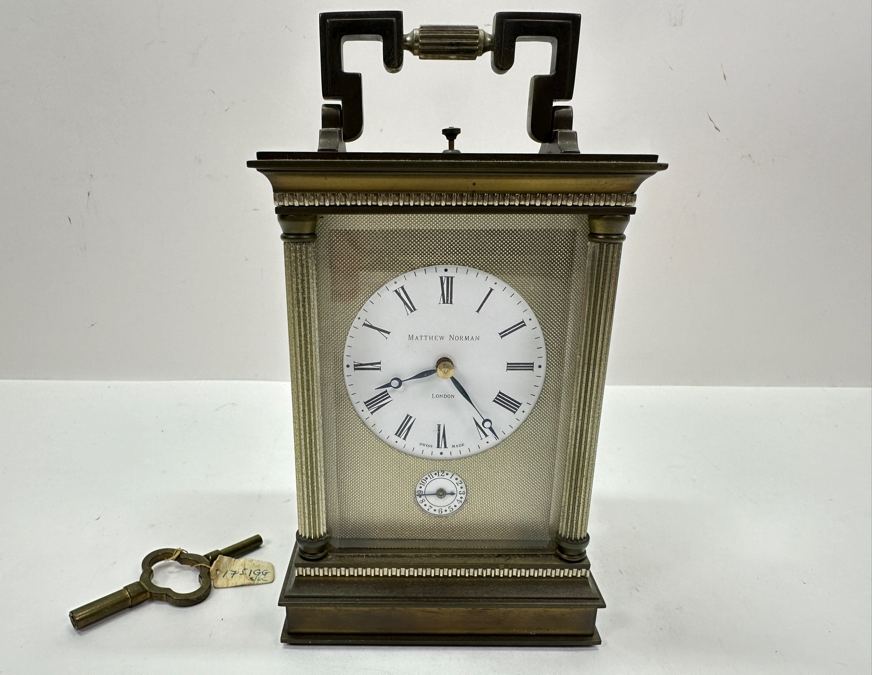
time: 4:41
